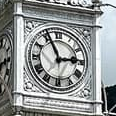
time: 2:56
